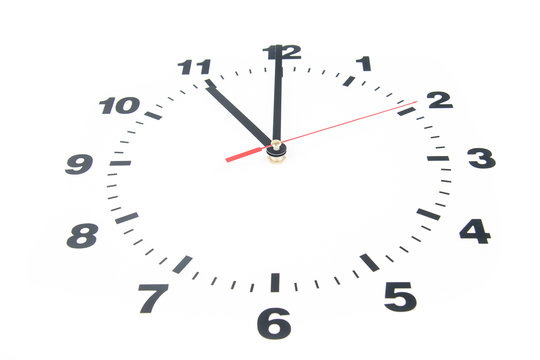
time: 11:00
